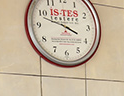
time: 3:48
